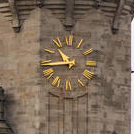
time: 10:43
